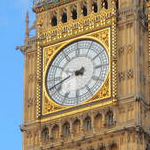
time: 9:42
